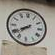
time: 7:40
